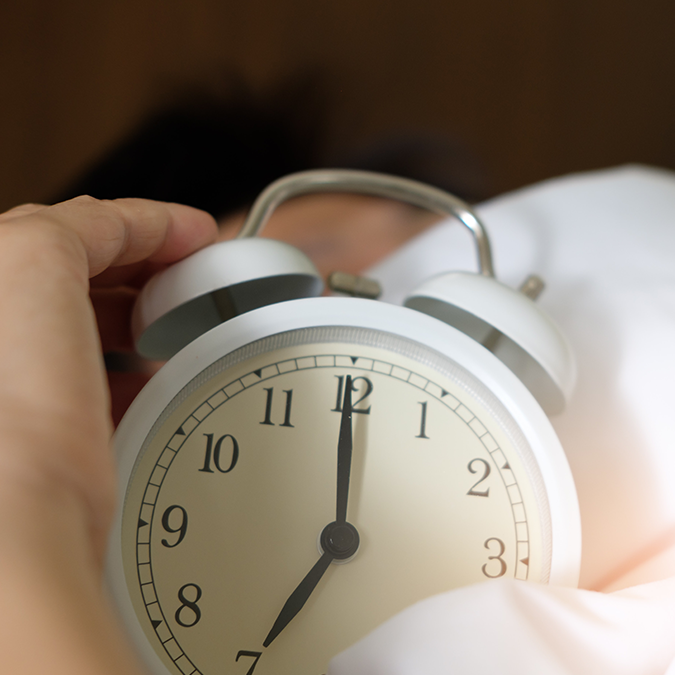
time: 7:00
